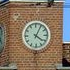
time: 4:05
